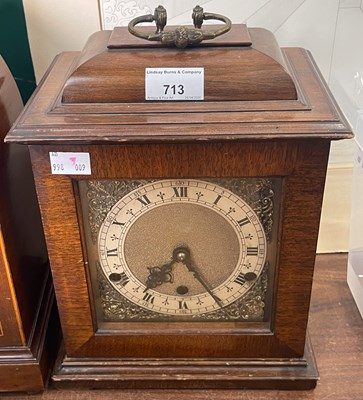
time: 7:25
